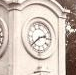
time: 2:38
